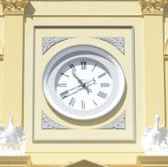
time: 10:40
